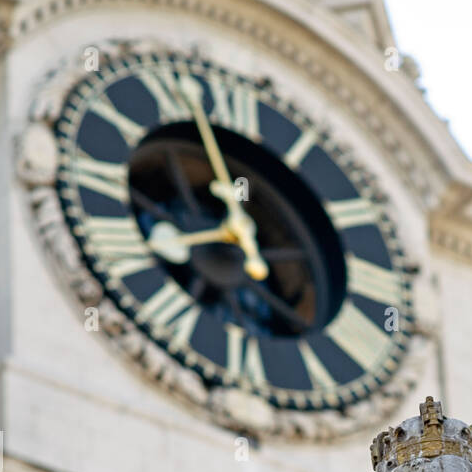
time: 7:57
